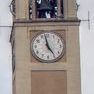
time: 4:57
